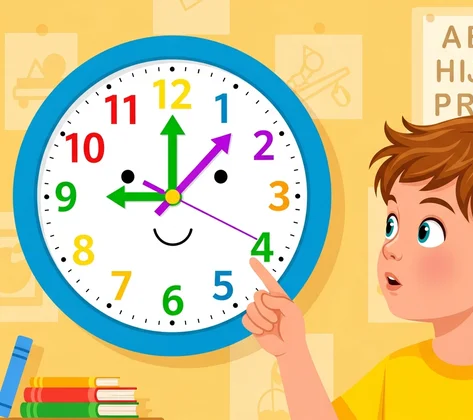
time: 9:00
